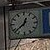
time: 12:38
